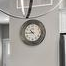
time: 10:43
